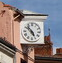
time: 4:52
